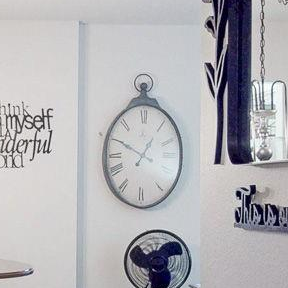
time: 12:49
